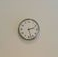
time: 2:27
